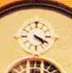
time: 4:19
